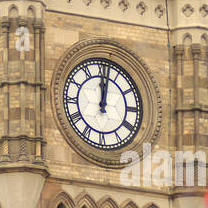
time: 12:02
